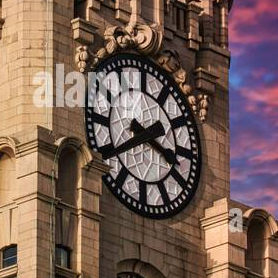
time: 3:40
